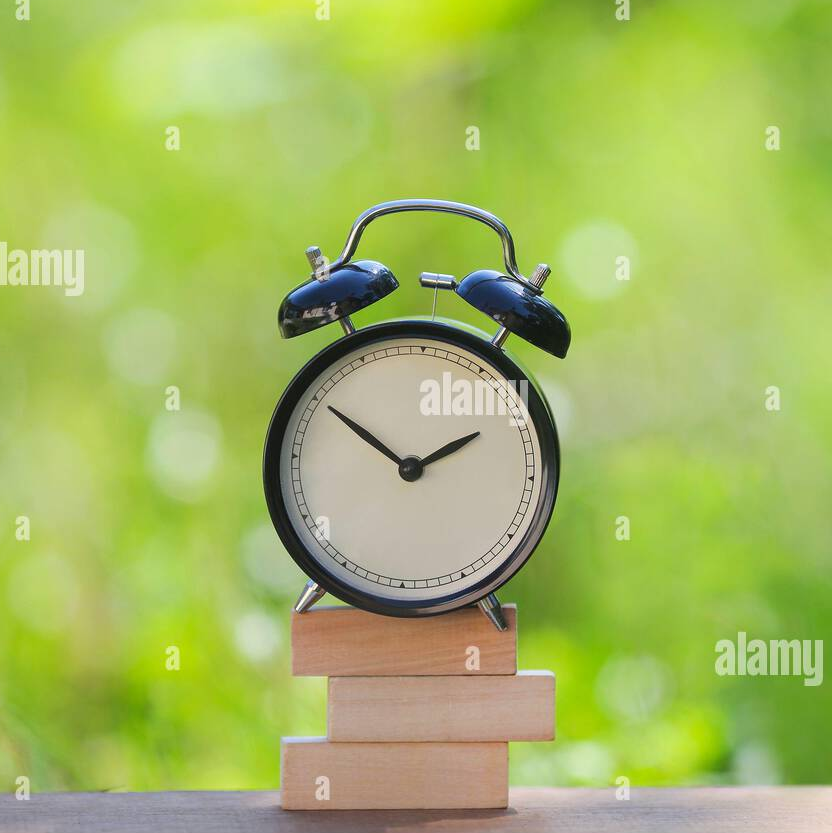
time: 1:50
